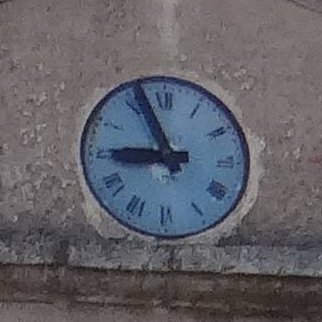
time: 8:56
